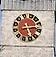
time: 5:13
